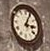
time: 3:04
